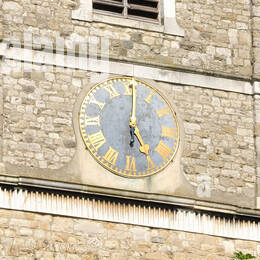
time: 5:00
